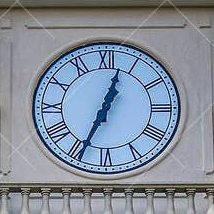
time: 12:34
